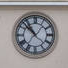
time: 10:52
